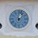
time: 1:02
